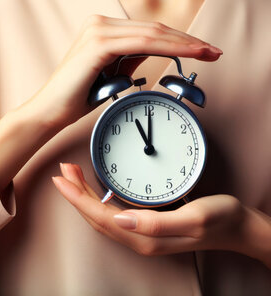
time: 11:00
